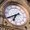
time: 6:40
